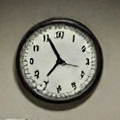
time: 6:55
